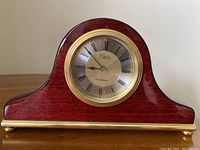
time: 8:52
